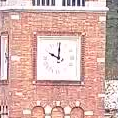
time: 10:00
